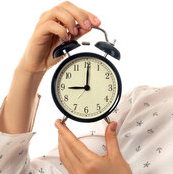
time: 9:00
